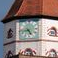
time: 4:42
